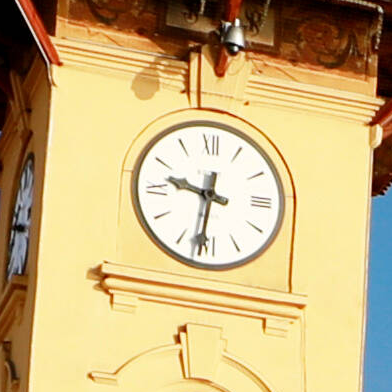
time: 9:31
